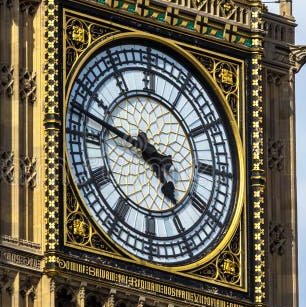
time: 4:47
